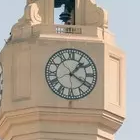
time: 1:20
